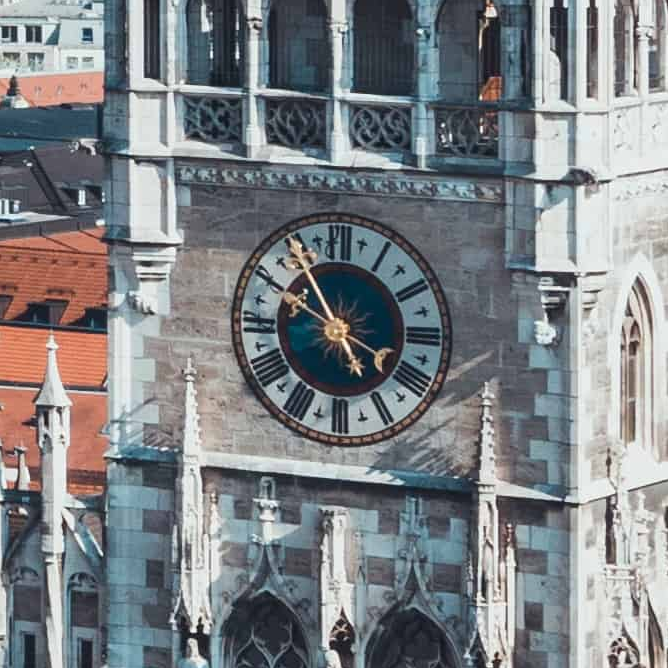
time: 4:54
